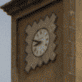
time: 8:48
